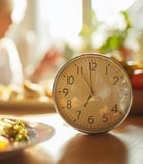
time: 6:59
